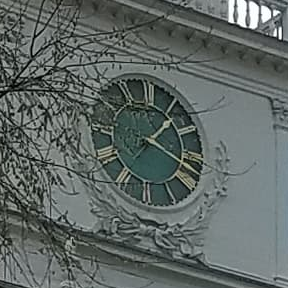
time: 1:18
